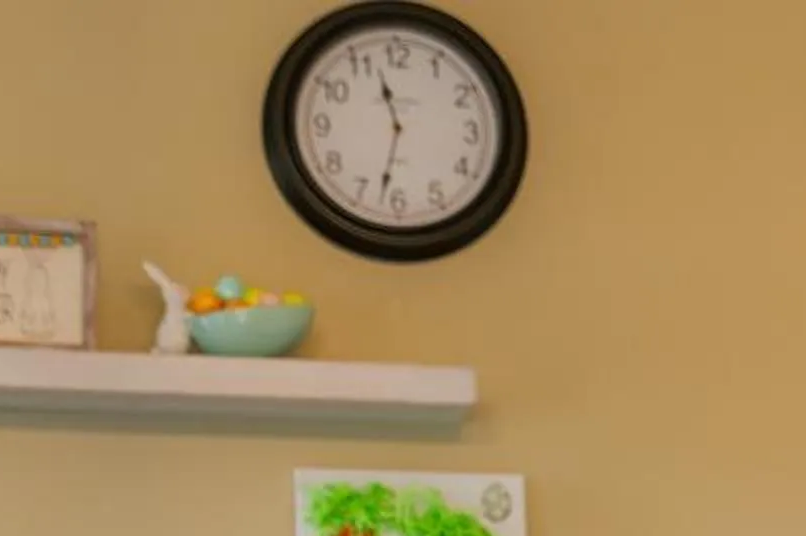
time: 11:32
